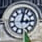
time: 3:02
